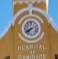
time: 7:40
